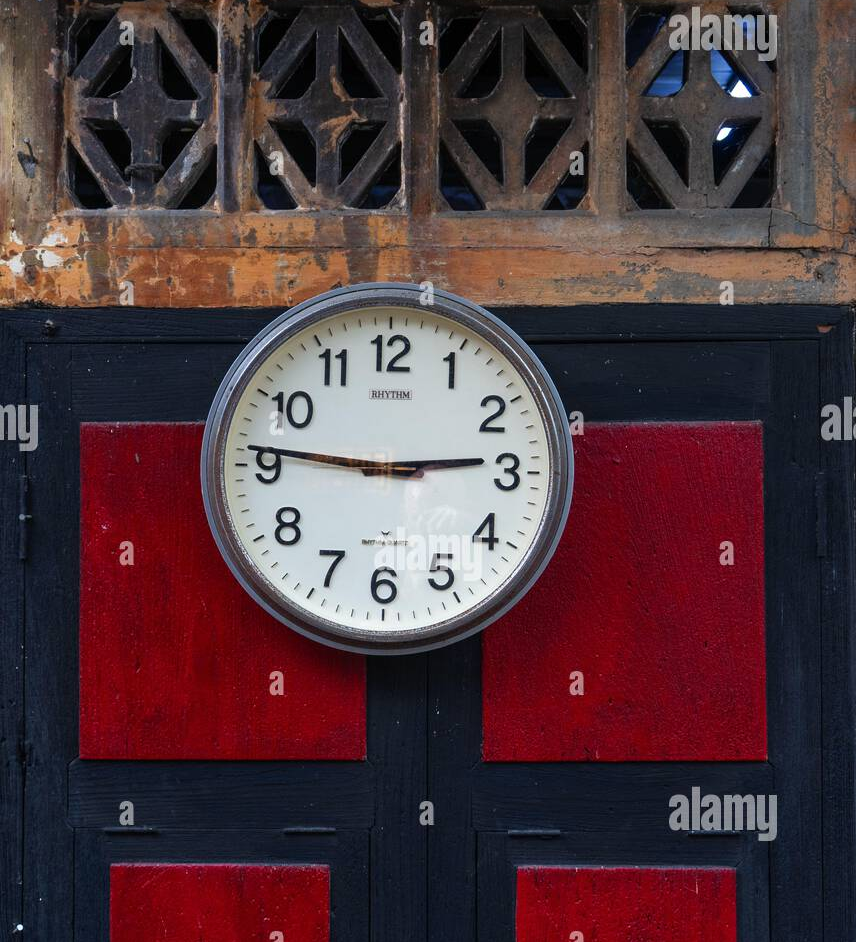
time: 2:46
